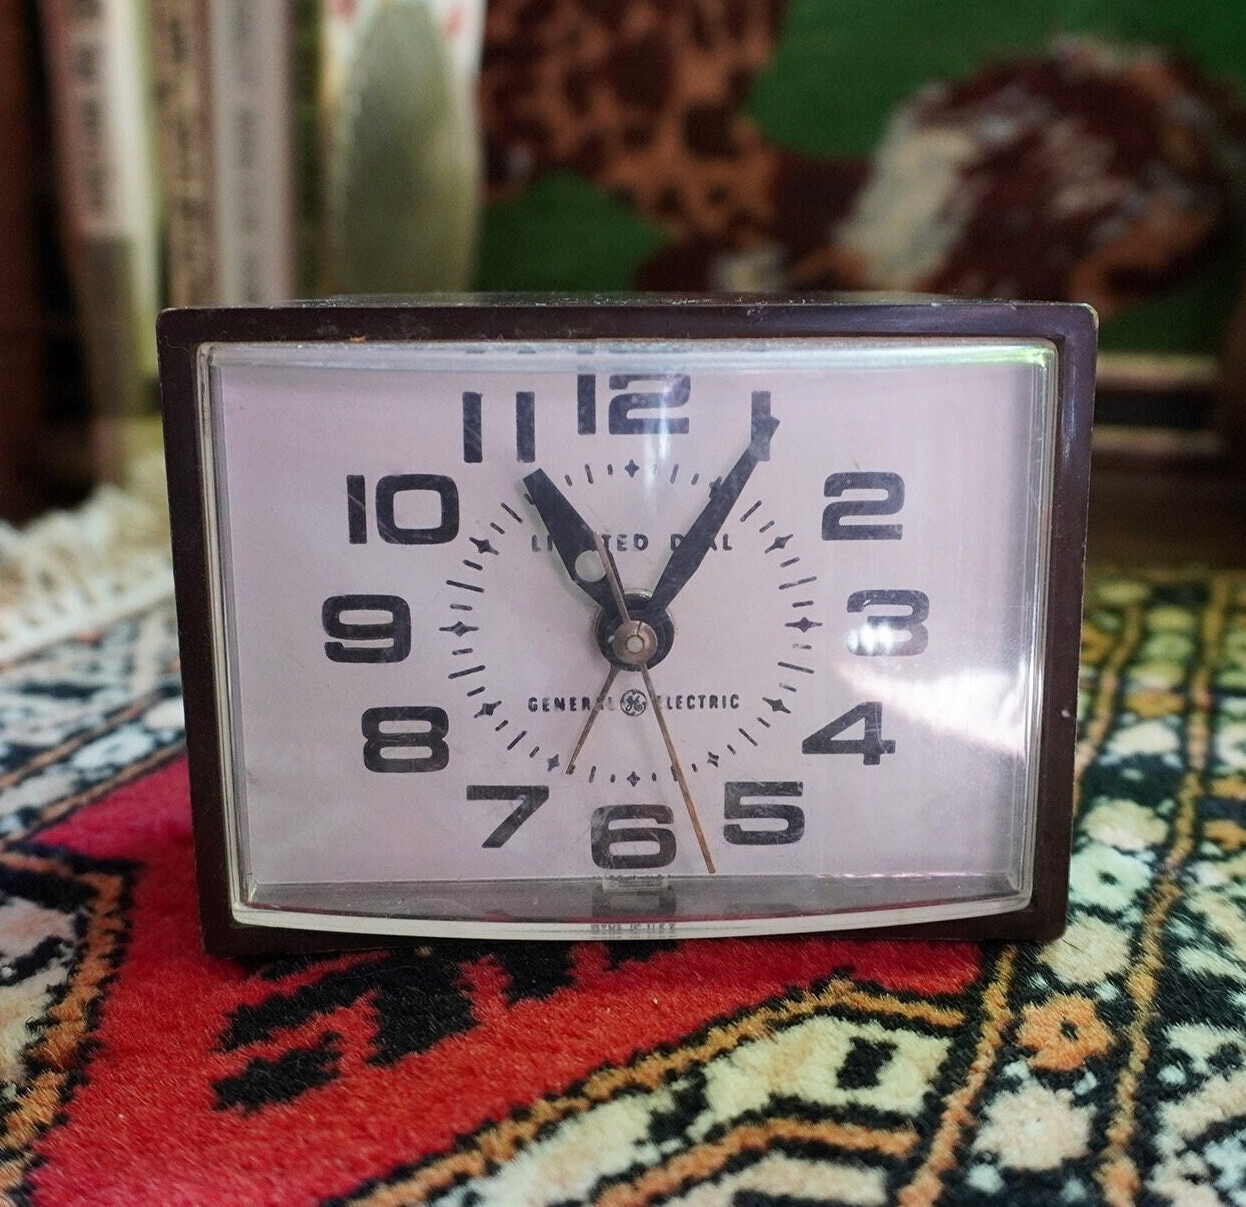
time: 11:05
